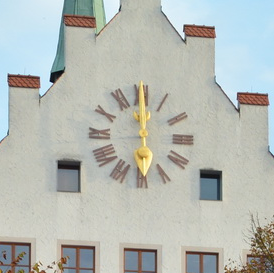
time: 6:00
